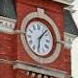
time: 6:06
